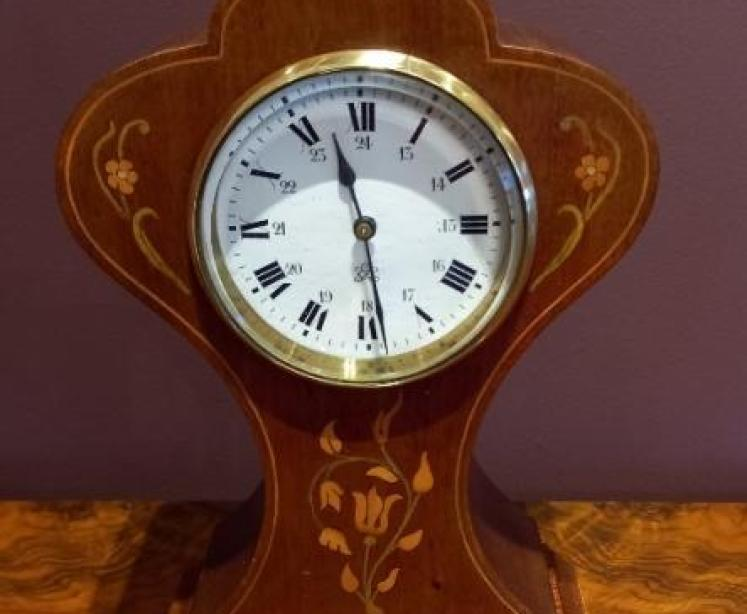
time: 11:28
